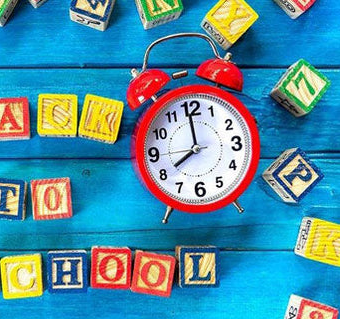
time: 7:59
